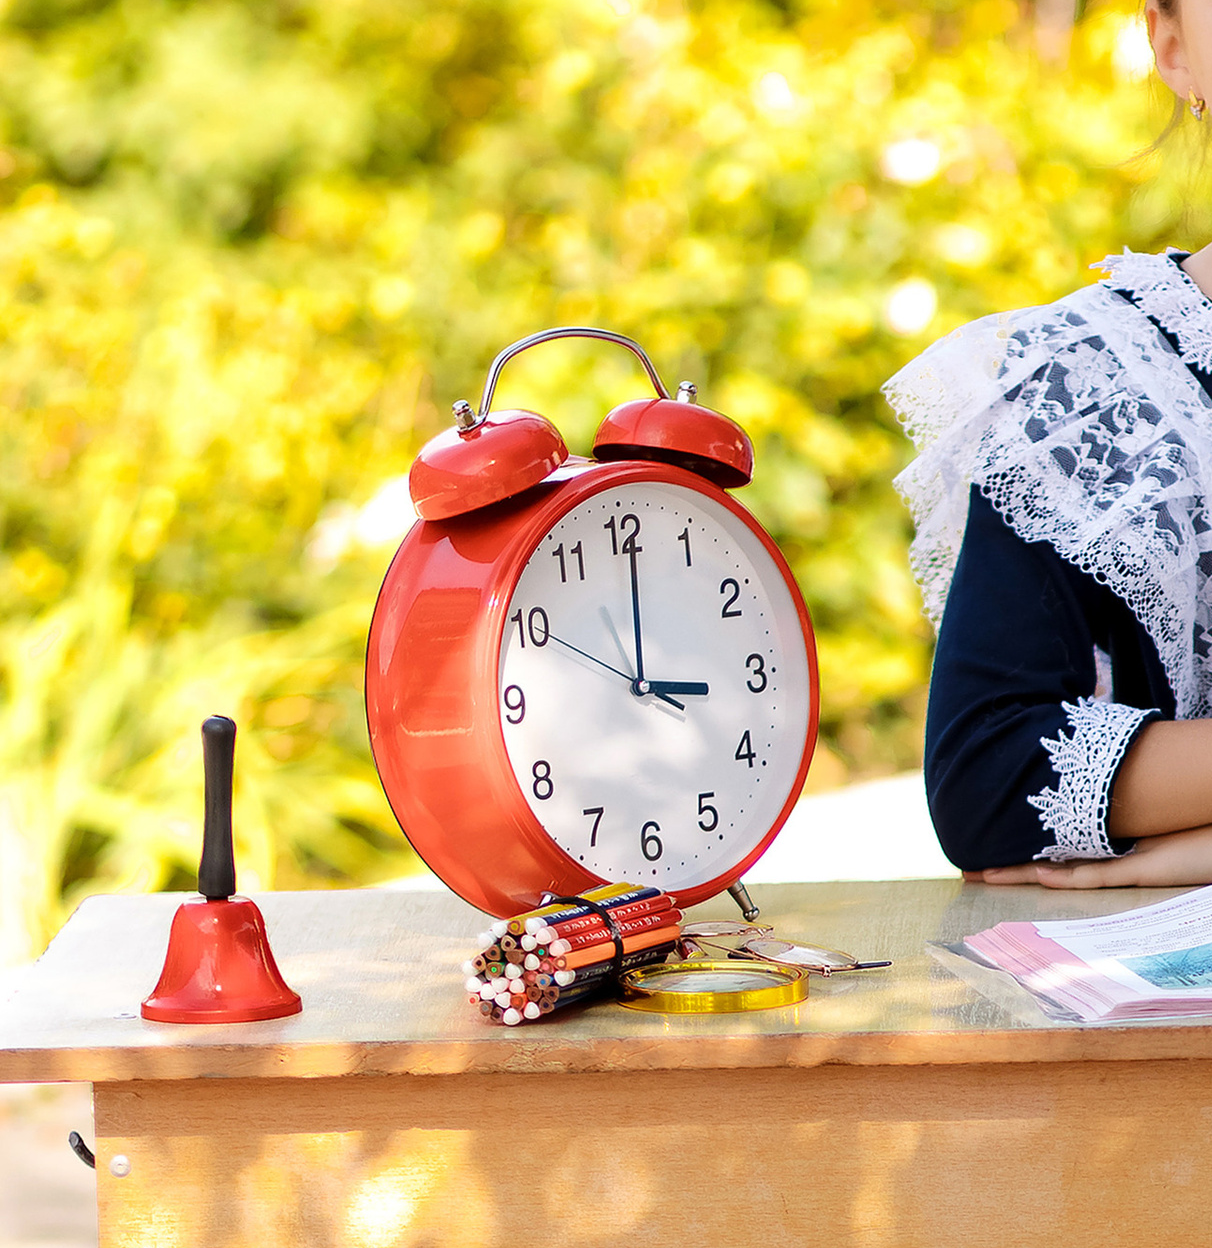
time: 3:00
